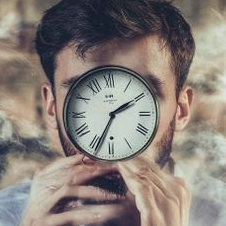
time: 2:09
